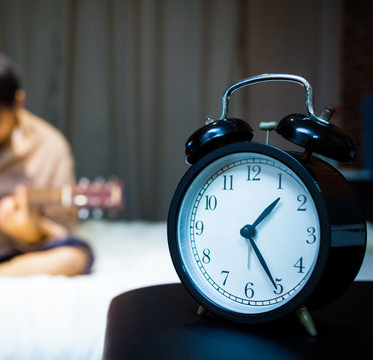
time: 1:24
